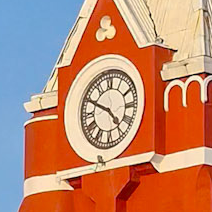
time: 4:49
